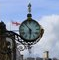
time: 5:53
